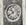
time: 10:40
